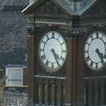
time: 4:24
